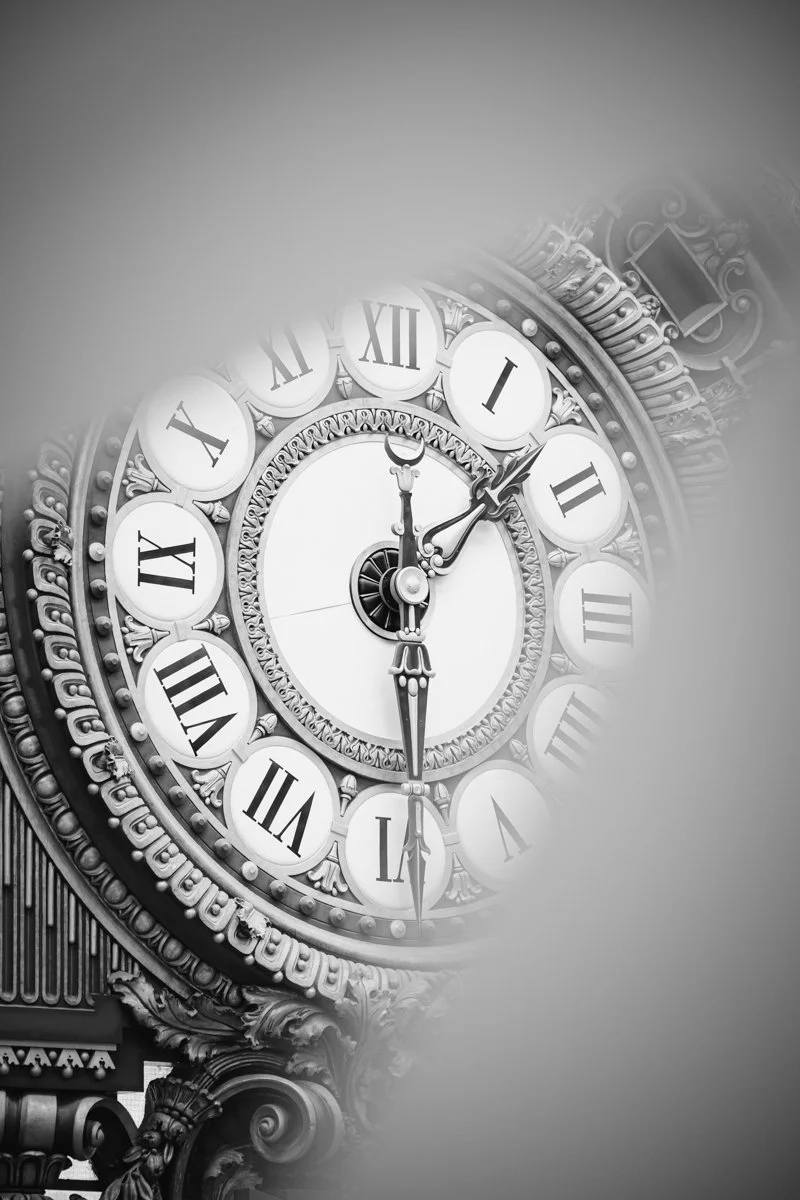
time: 1:28
